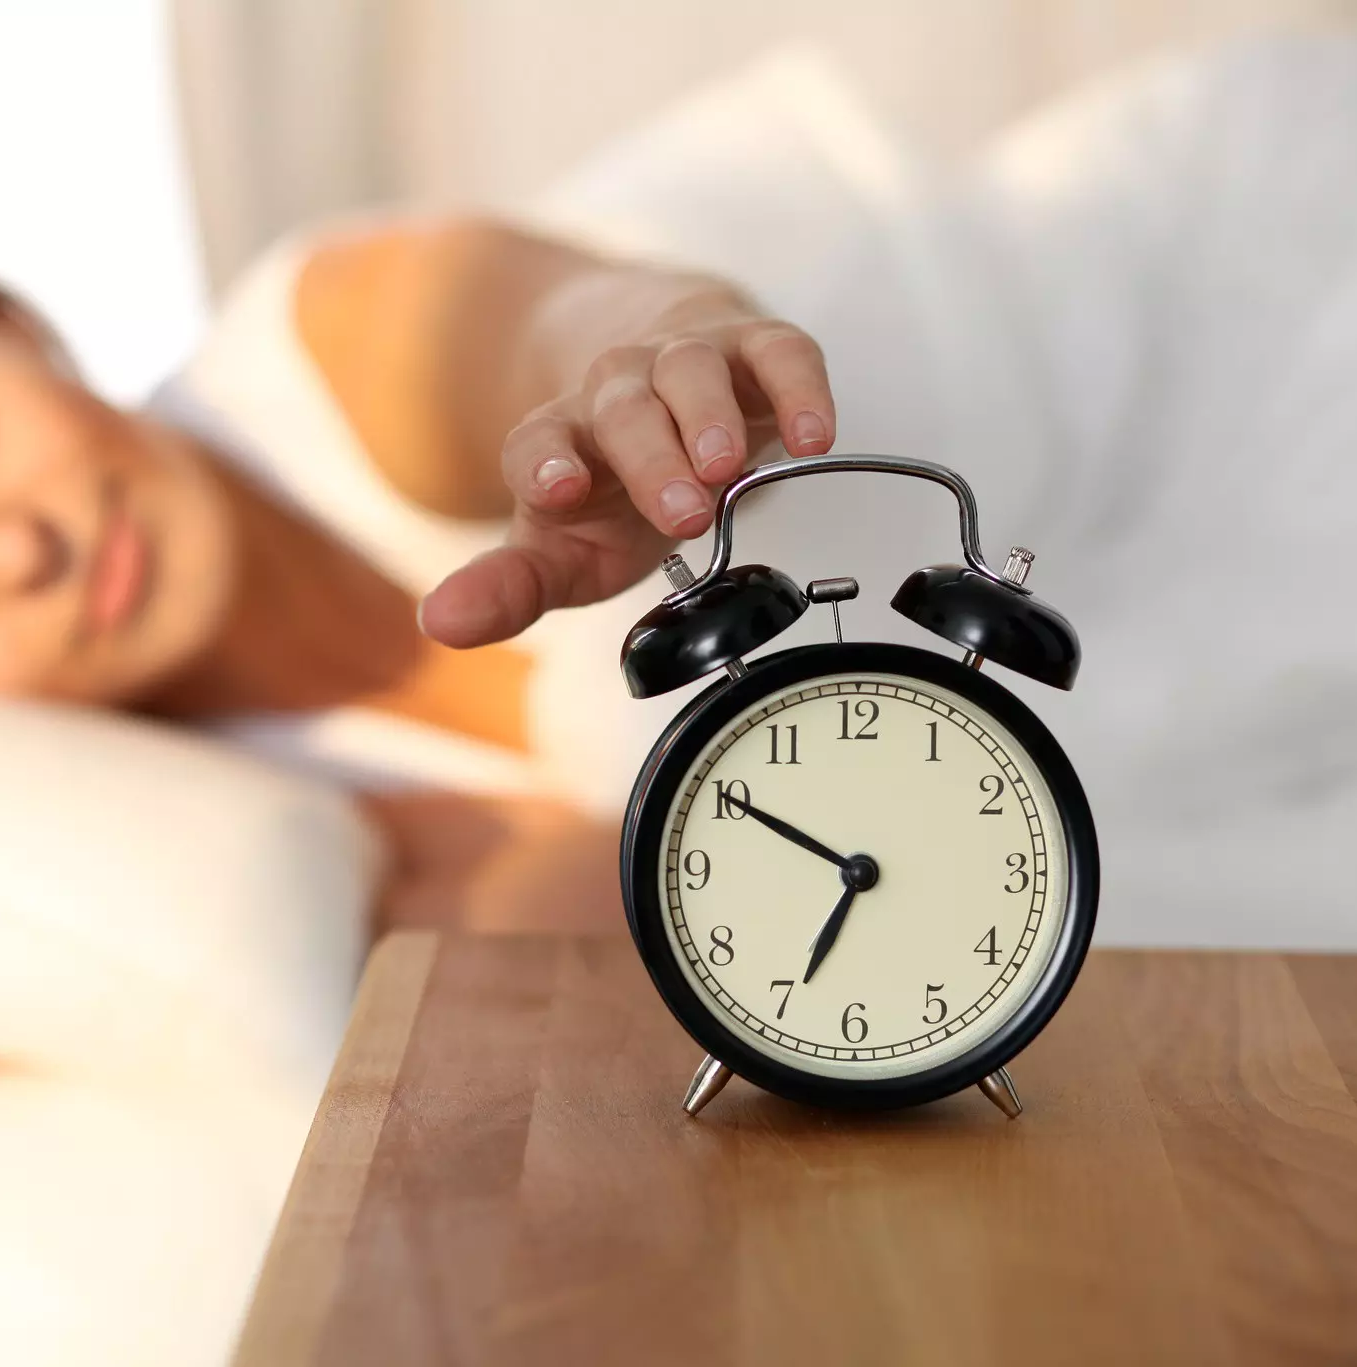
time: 6:50
